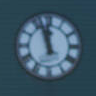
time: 11:56
